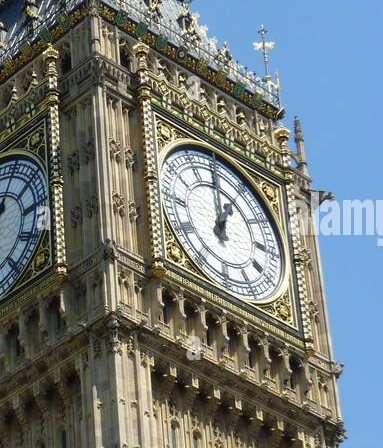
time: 12:59
